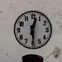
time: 12:29
